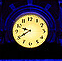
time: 9:39
